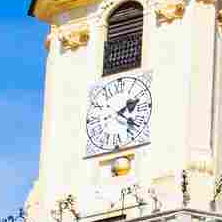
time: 2:21
